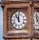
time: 11:53
